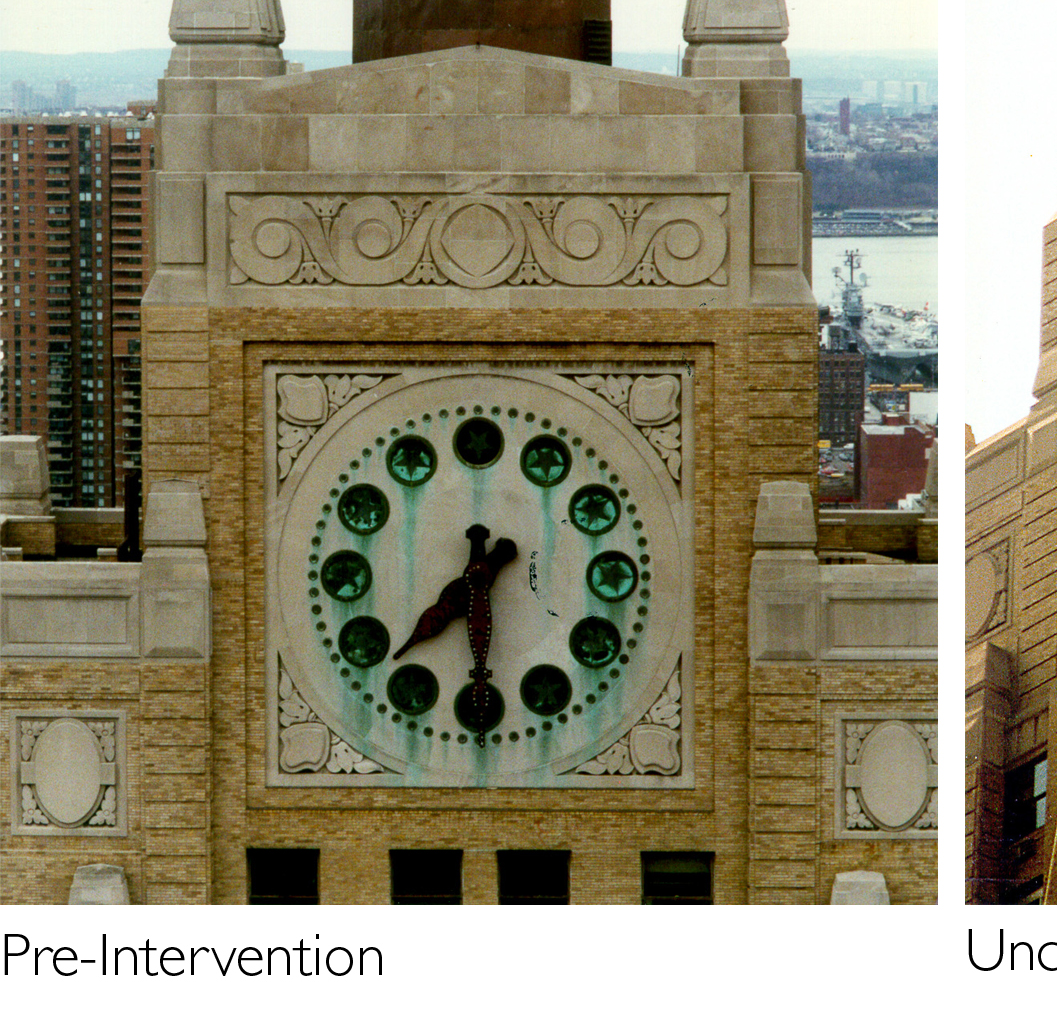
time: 7:30
